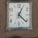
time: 1:21
